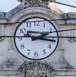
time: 2:16
